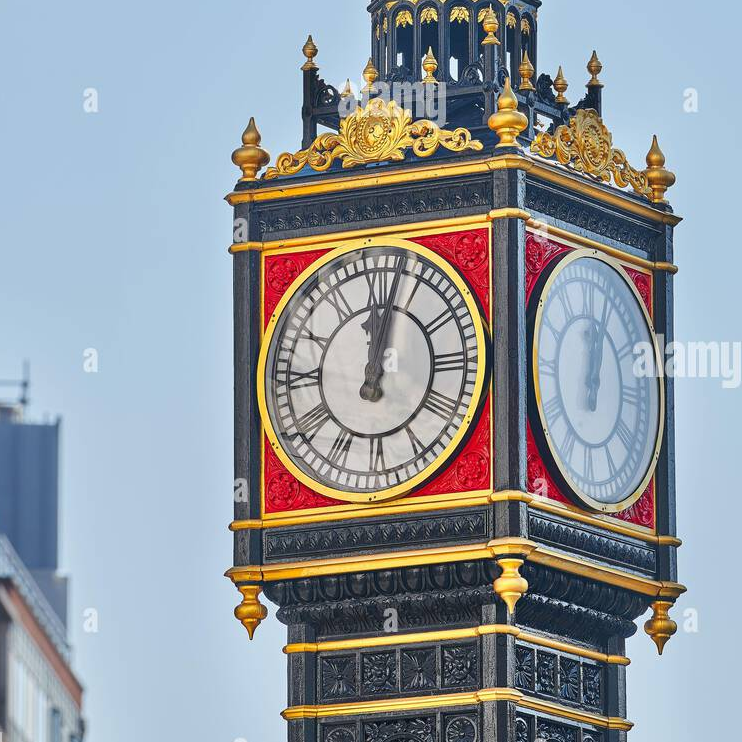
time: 12:02
